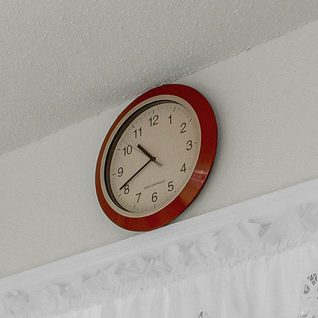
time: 10:40
